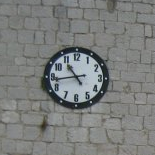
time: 10:43
